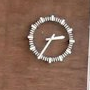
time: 2:35
